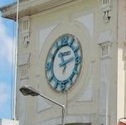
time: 11:12
